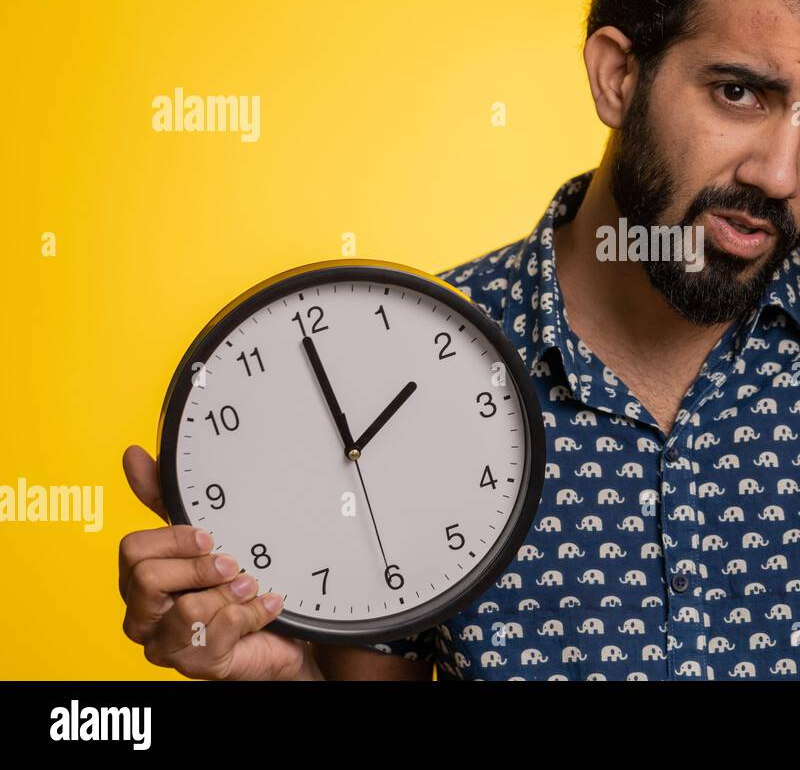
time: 1:59
